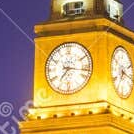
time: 7:16
